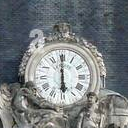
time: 5:59
